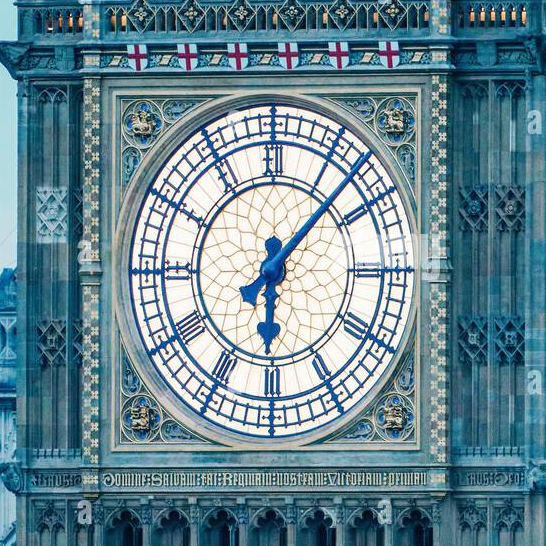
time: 6:07
